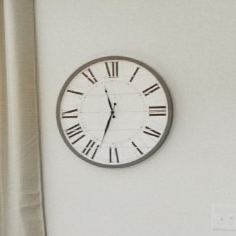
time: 11:33
